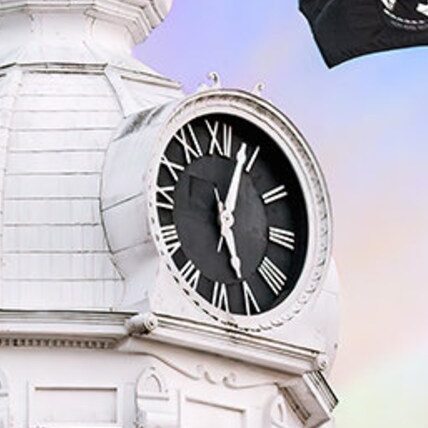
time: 5:03
